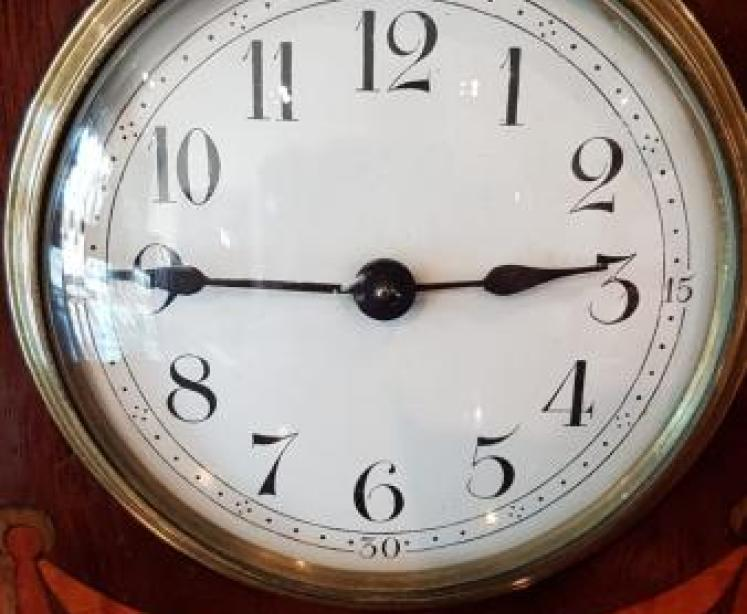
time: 2:45
